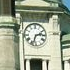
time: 2:33
